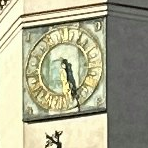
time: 5:26
